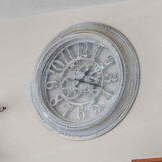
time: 1:18
